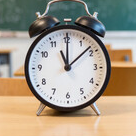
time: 11:08
